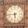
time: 5:43
